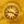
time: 9:20
